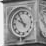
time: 9:54
